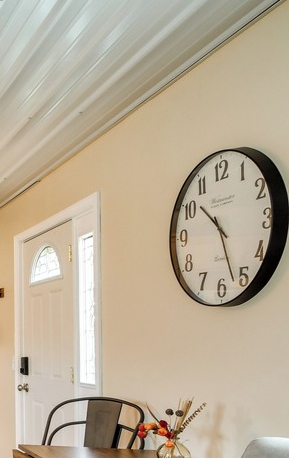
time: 10:26
